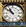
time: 10:51
